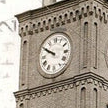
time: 9:50
